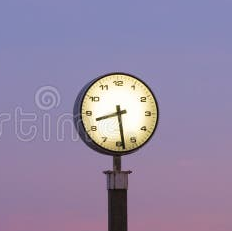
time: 8:28
